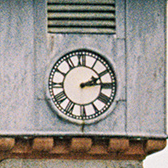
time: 2:14
